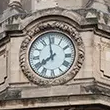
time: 7:58
